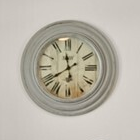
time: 11:39
